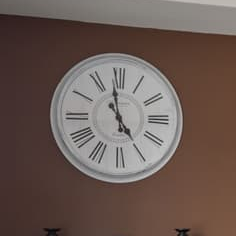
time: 4:58
